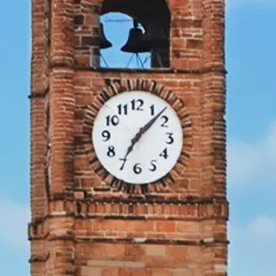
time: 7:07
